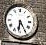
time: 6:24
